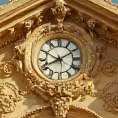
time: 8:10
